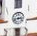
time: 2:42
